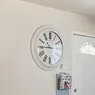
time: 10:45
